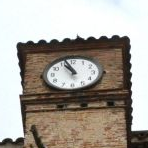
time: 10:56
